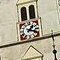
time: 1:18
